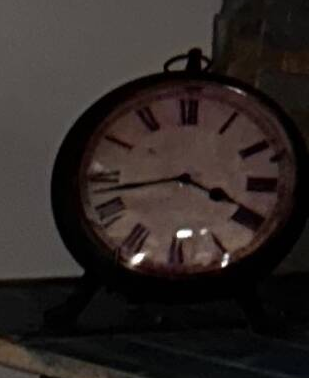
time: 3:42
